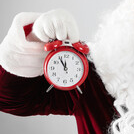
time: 11:54
